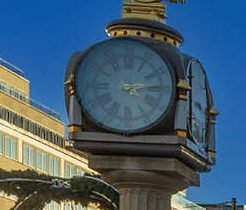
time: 4:13
